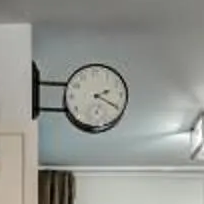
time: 2:19
